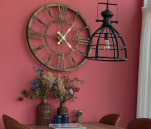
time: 4:06
